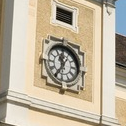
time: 11:35
